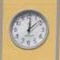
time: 12:07
